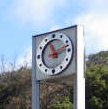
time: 11:12
